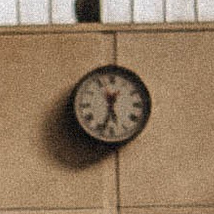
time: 5:33
